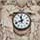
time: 11:41
